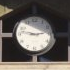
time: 2:47
